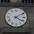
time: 4:09
